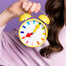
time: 8:05
